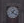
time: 1:20
